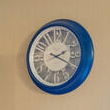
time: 2:19
